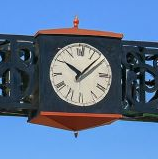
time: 10:07
